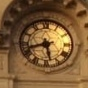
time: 5:42
